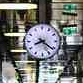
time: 8:21
